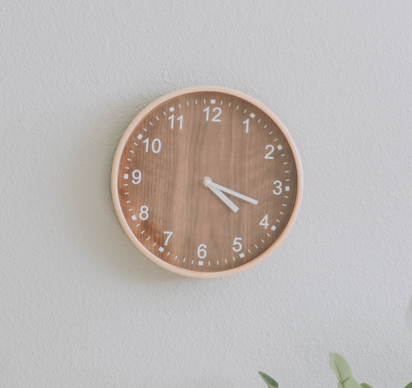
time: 4:18
